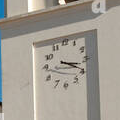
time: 3:19
